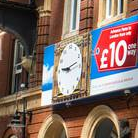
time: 9:12
